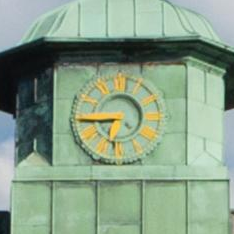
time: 6:44
